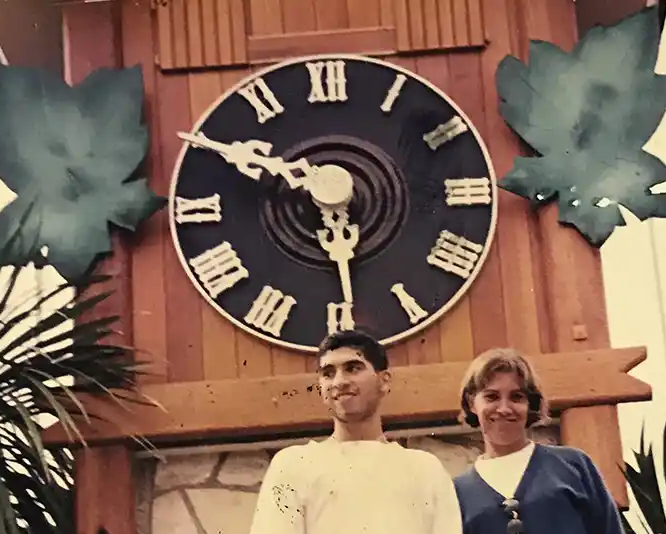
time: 5:50
